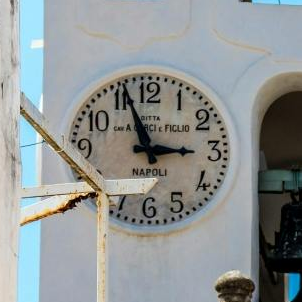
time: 2:56
